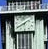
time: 1:39
